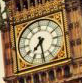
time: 7:29
